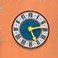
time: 5:13
